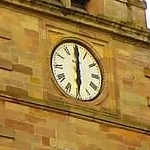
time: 6:00
